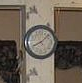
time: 8:07
